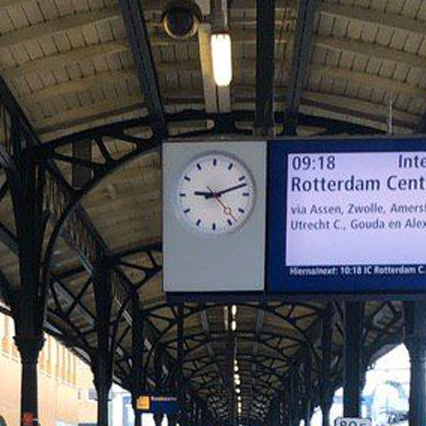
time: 9:12
